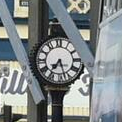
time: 7:27
